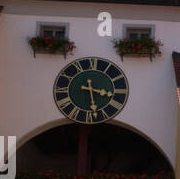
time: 3:28
